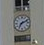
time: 7:11
